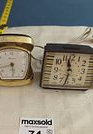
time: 11:32
